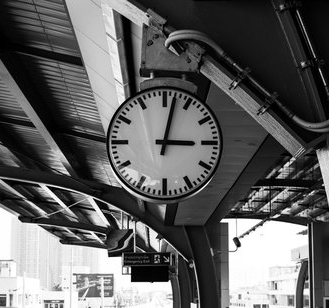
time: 3:02
